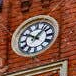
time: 10:07
